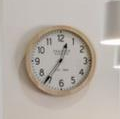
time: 12:36
